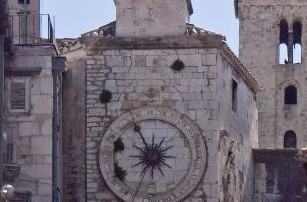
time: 12:55
